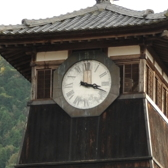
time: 3:18
